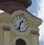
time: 1:32
